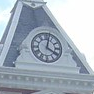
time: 4:02
